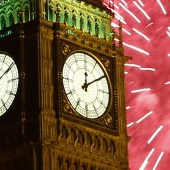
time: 12:09
